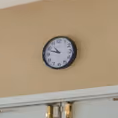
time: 10:48
